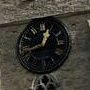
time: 12:42
